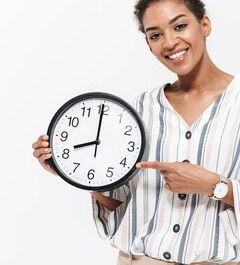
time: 7:59
